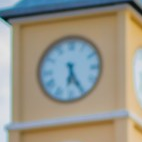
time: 6:25
